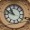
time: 10:48
